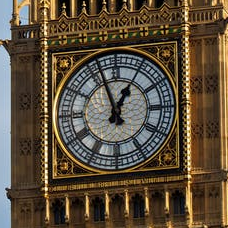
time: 12:57
